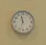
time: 11:32
